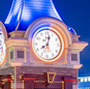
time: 8:02
